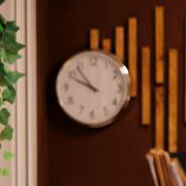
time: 9:53
